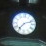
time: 7:11
